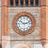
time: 10:12
